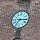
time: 7:15
